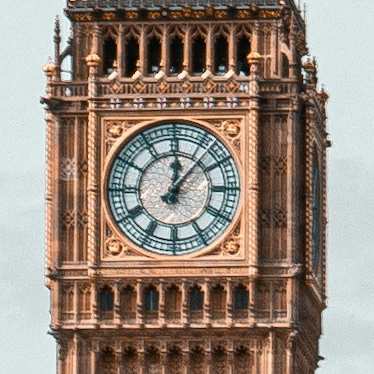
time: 12:07
